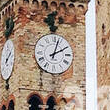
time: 2:03
